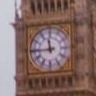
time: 11:44
